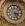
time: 3:26
